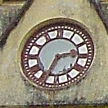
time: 2:33
